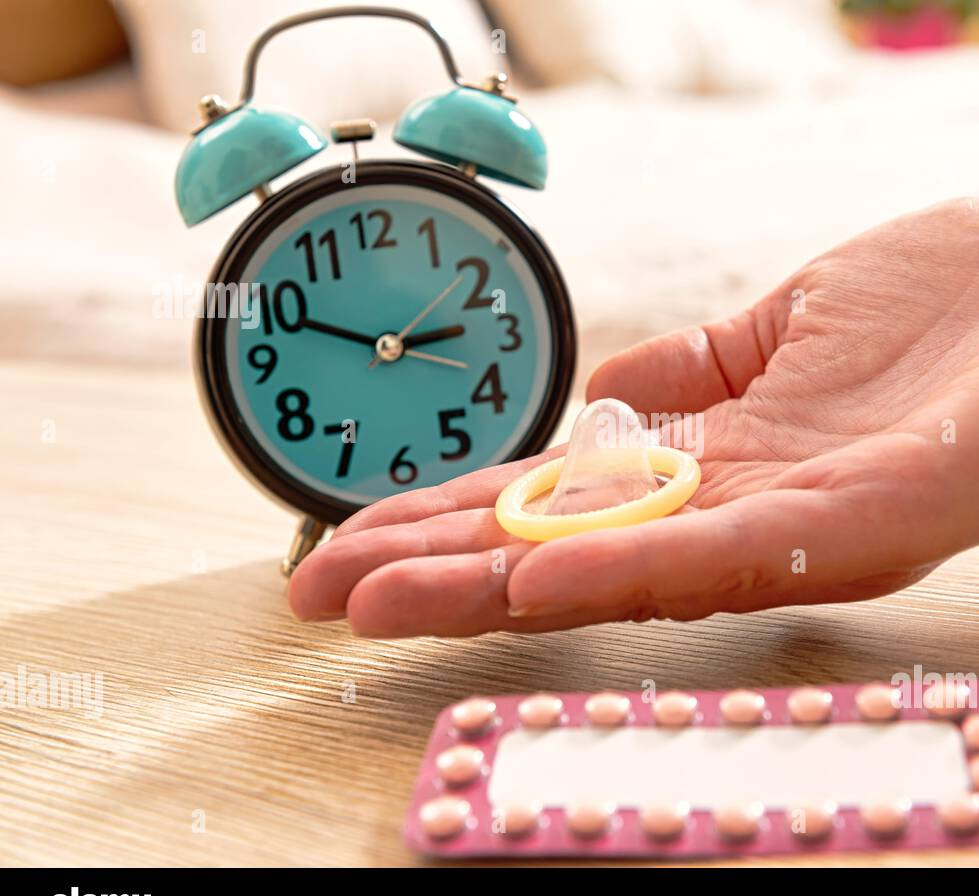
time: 2:48
